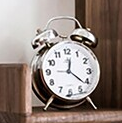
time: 12:21
